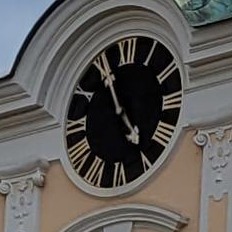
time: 4:55
